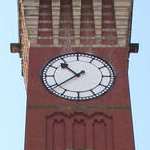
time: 10:38
